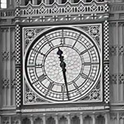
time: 11:28
